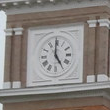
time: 4:59
